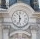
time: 11:32
